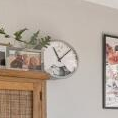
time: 11:07
